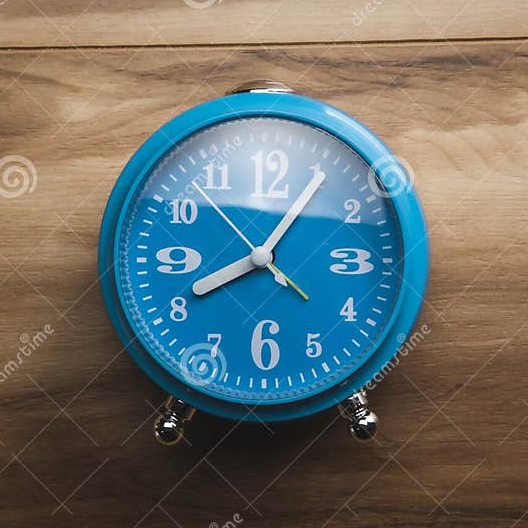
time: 8:05
